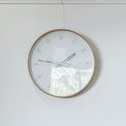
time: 1:46
